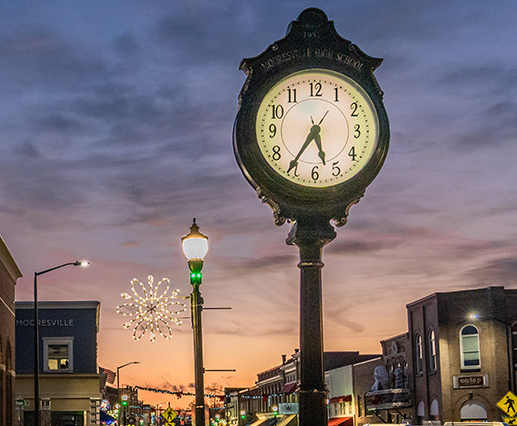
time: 5:35
